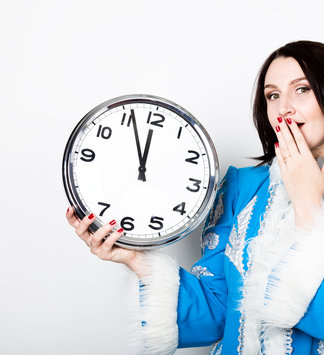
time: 11:56
